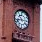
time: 10:42
